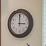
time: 2:59
